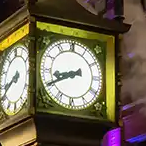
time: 8:40
